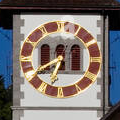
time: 6:40
